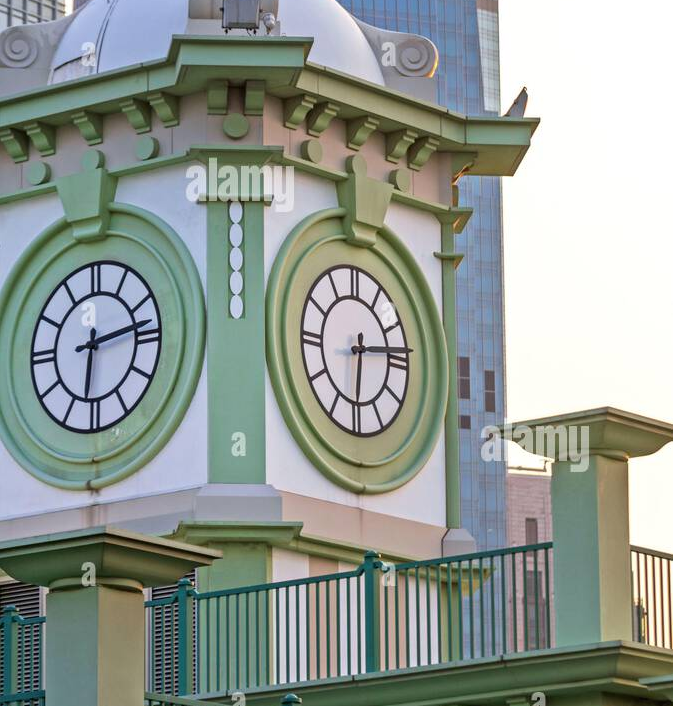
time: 6:14
